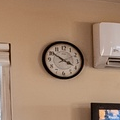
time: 3:50
